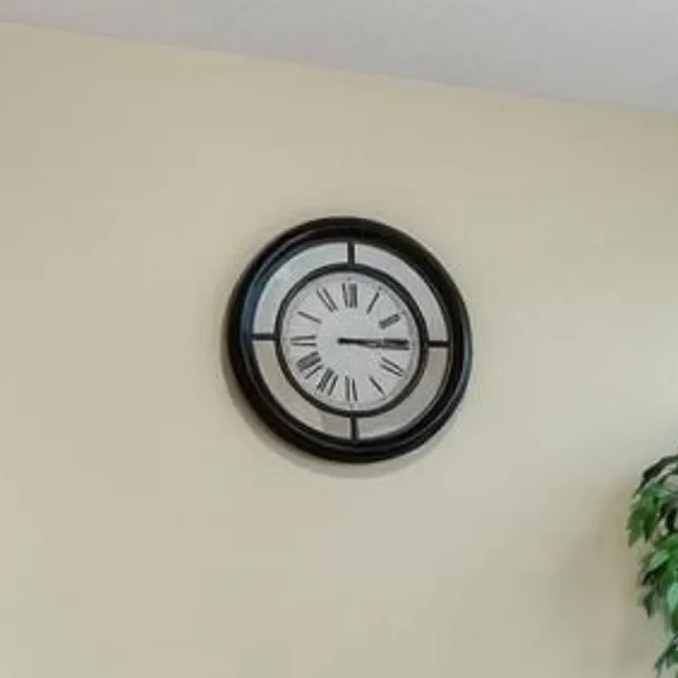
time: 3:14
